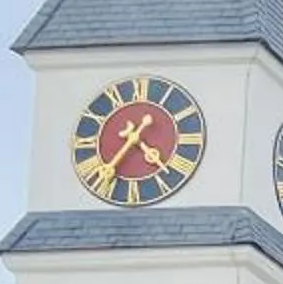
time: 4:35
